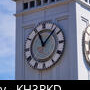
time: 11:07
